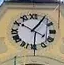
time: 10:05
